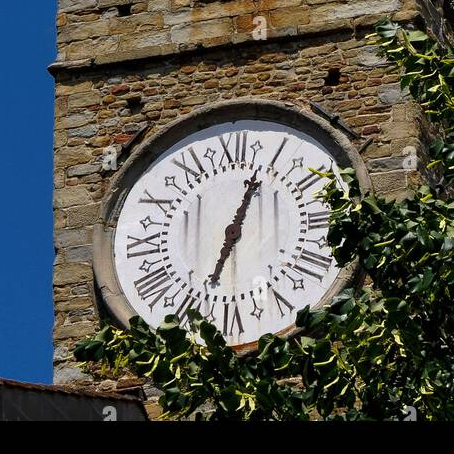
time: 12:33
